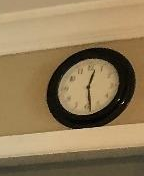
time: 12:28
